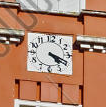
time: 4:19
